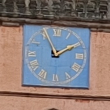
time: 1:56
